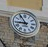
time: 8:54
